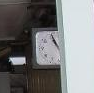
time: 10:55
